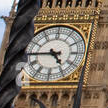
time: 4:44
